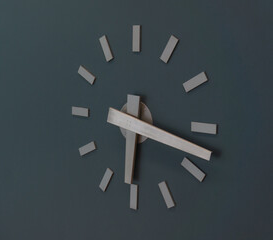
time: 6:18
